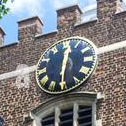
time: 12:30
